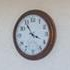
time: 3:54
